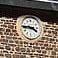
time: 3:44
